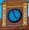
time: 4:57
